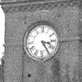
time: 3:24
